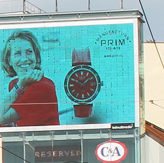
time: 1:50
